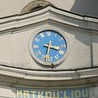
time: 3:32
